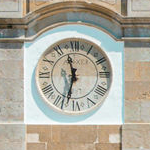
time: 11:32
